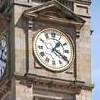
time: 1:20
